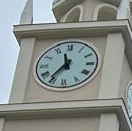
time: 11:36
